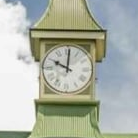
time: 10:00
